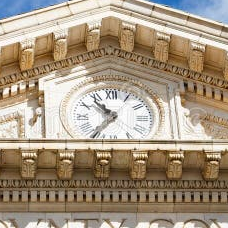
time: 10:36
